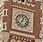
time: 7:04
